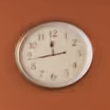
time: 11:43
